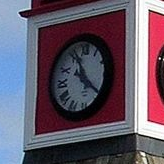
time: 11:21
